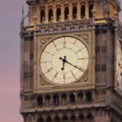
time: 6:20
